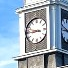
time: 8:47
